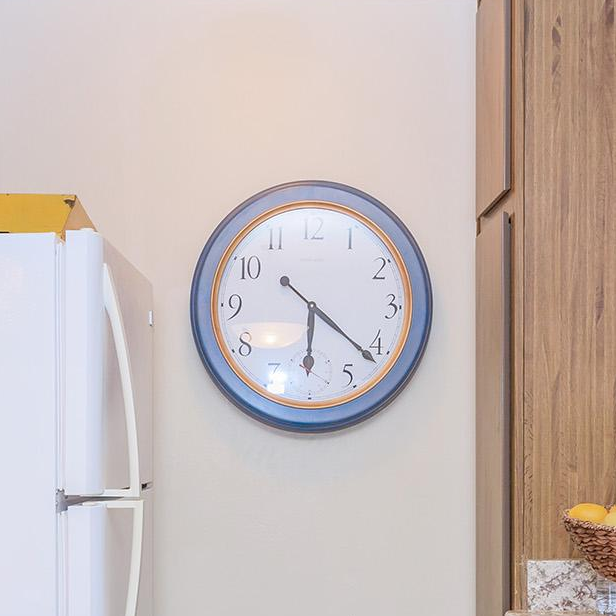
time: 6:21
